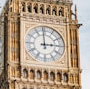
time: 2:59
